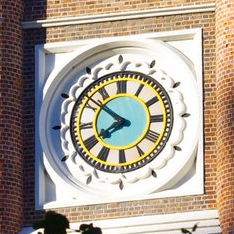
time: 7:51
